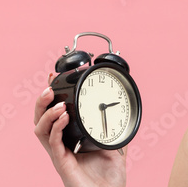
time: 2:28
